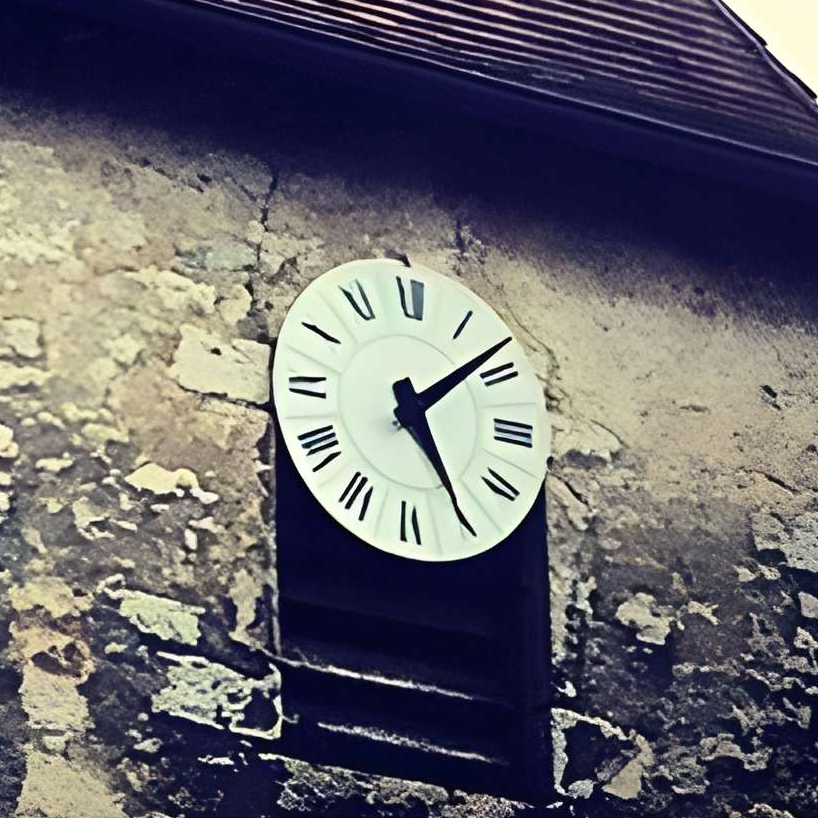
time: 5:08
